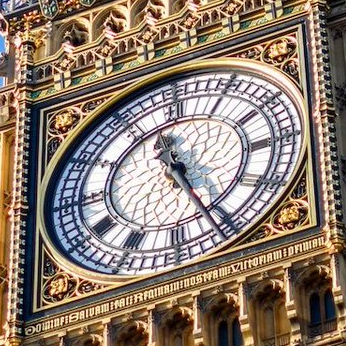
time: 11:25
